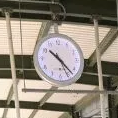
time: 10:22
